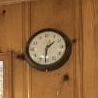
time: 1:31
